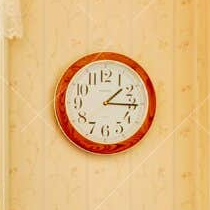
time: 1:15
